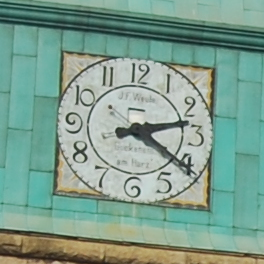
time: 4:12
